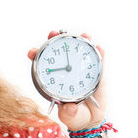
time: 9:00
